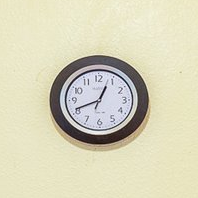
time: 12:41
